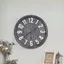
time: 1:38
